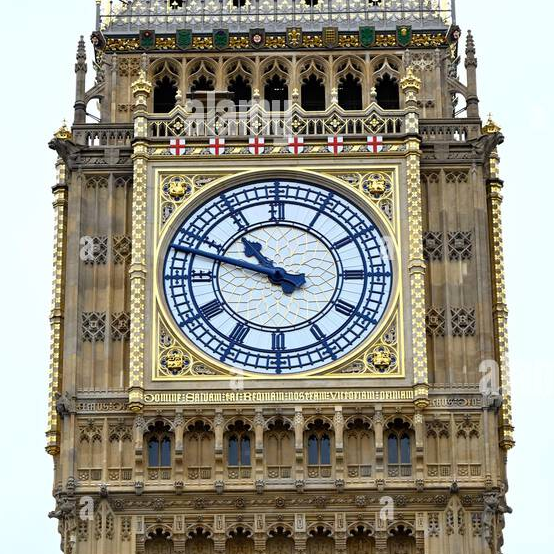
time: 10:47
